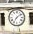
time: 7:08
